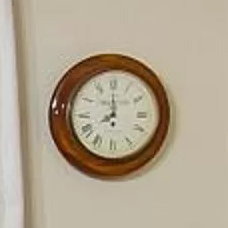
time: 7:59
